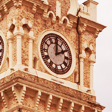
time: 2:00
